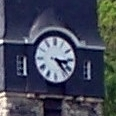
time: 3:22
